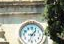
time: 1:33
